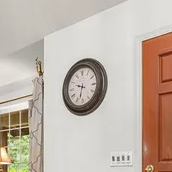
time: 9:32
